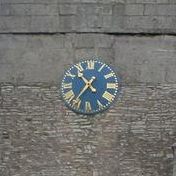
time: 10:36
